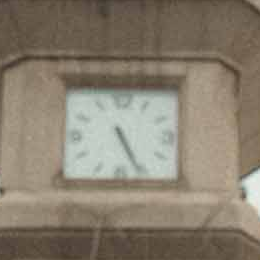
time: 5:26
